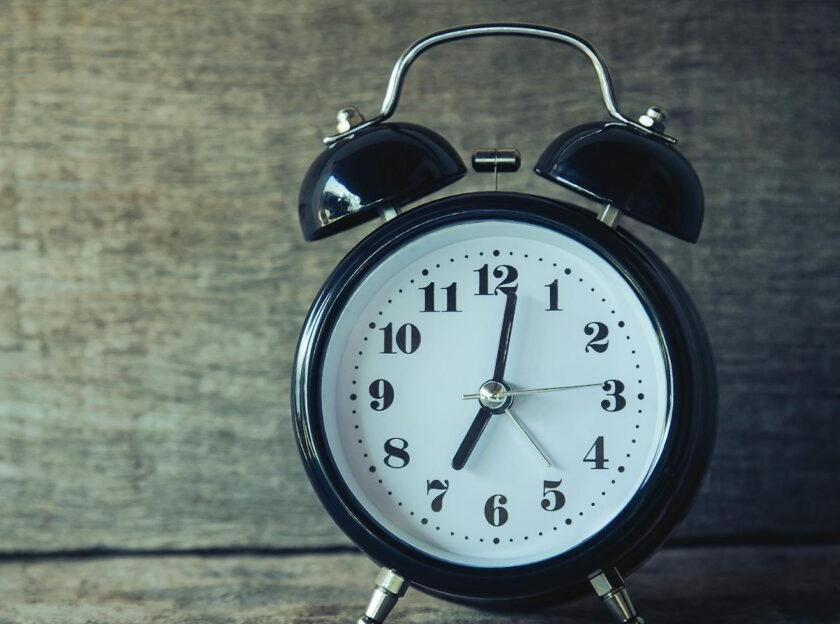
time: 7:01
